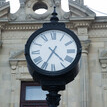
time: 4:34
